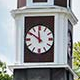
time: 11:50
